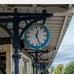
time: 12:26
